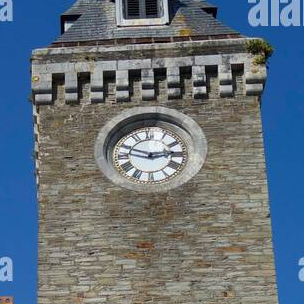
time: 2:48
